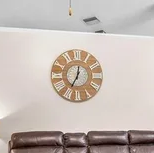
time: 7:01
